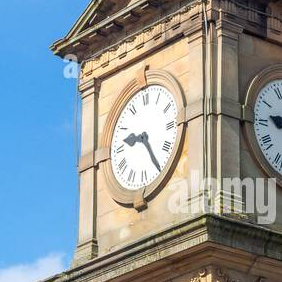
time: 9:24
